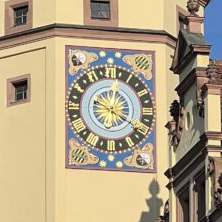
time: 12:19
